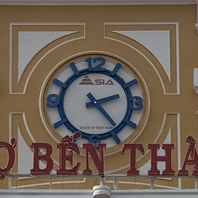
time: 2:23
